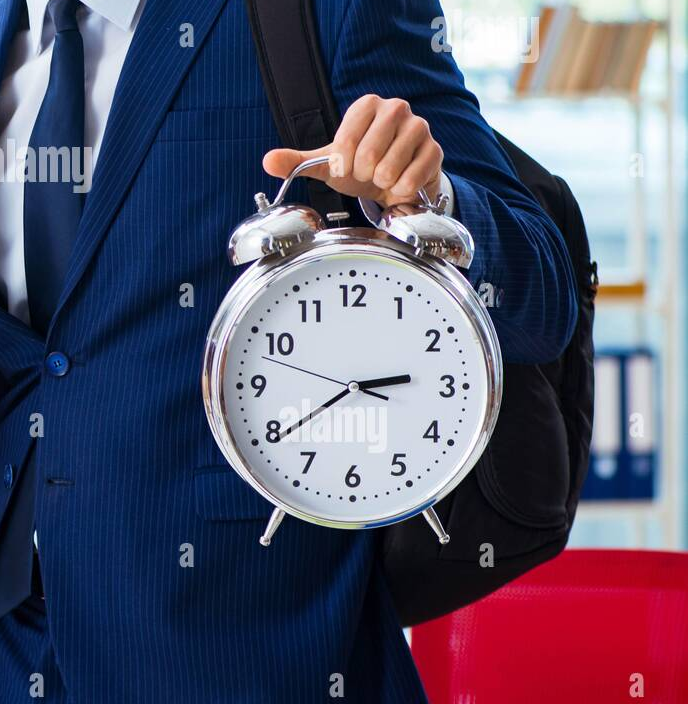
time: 2:39
